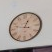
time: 12:47
